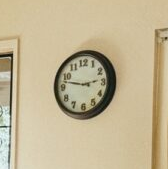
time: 2:47
